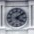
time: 4:08
